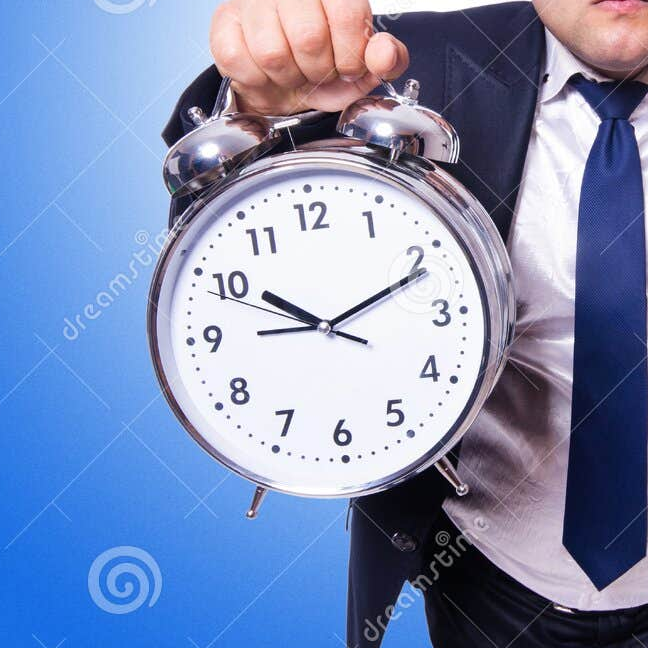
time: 10:11
